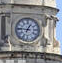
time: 12:46
